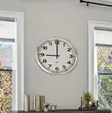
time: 8:59
